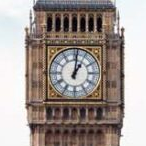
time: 1:01
